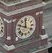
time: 11:48
